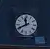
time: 11:40
